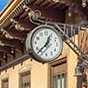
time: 12:37
